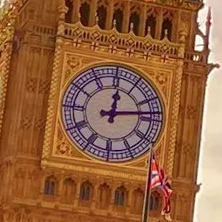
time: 12:13
